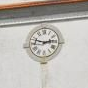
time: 2:47
